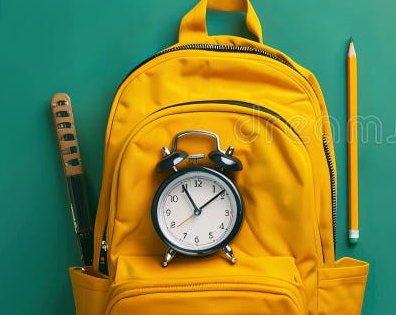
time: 11:08
